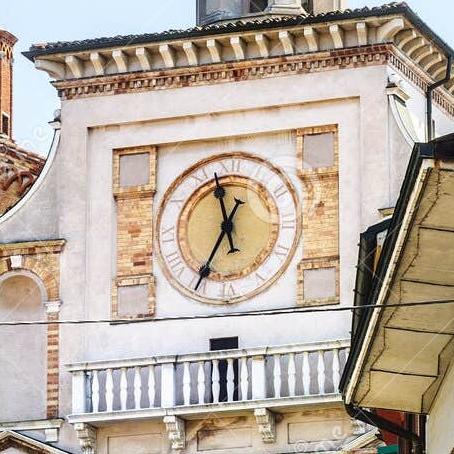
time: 11:35
